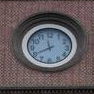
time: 11:40
